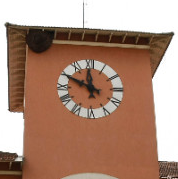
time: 11:49
